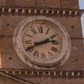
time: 2:40
